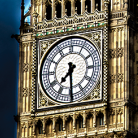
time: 7:30
